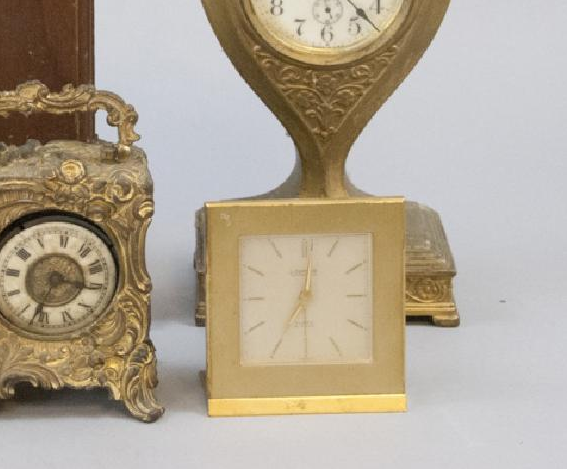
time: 7:01
